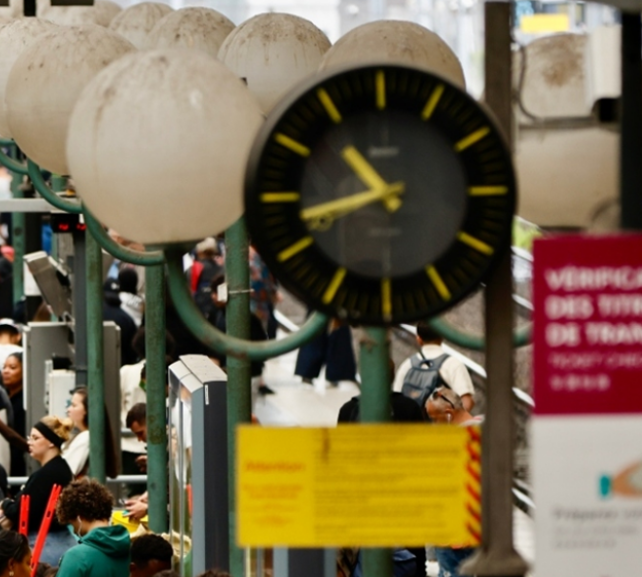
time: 10:42
